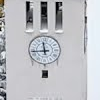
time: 11:43
